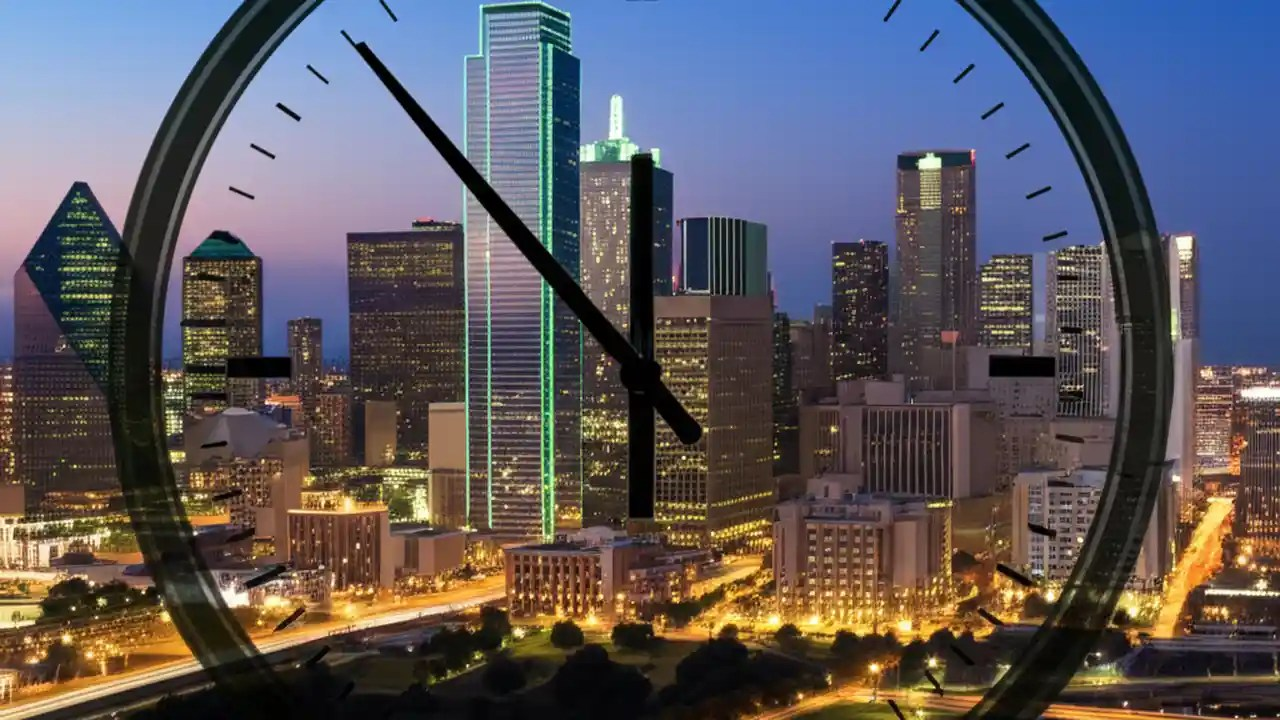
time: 11:53
